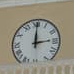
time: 3:00
